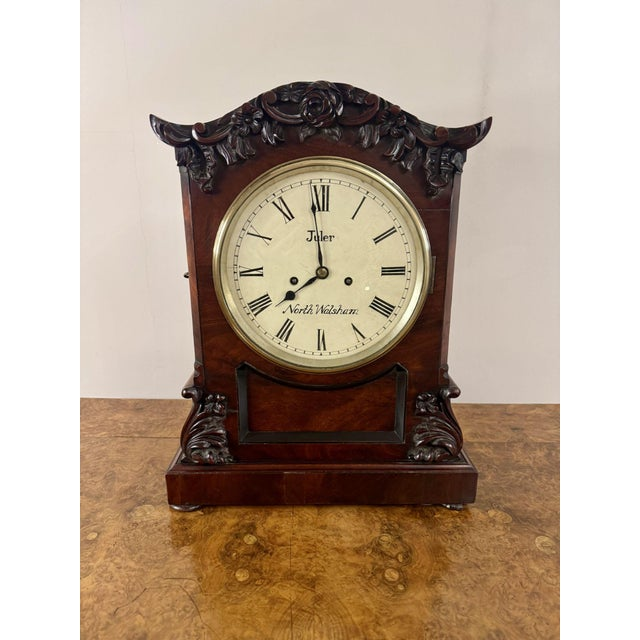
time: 7:59
